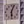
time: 6:03
